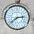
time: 2:38
